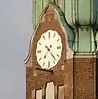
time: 7:22
